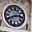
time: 2:40
